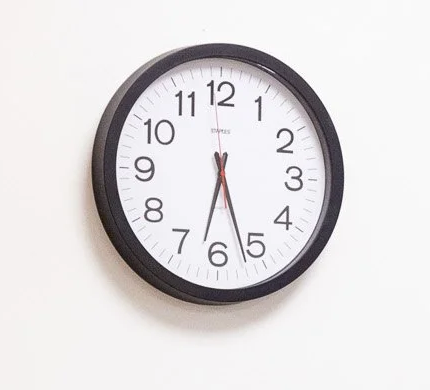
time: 6:26
